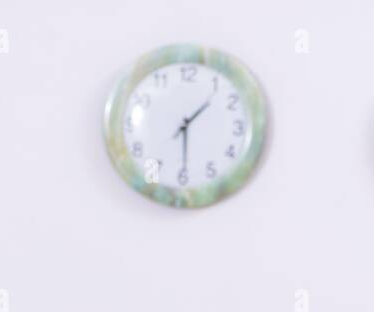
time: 1:29
